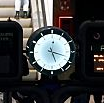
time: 5:18
